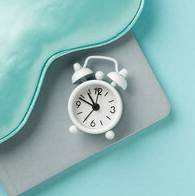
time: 10:48
